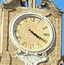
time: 4:20
